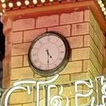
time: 4:29
